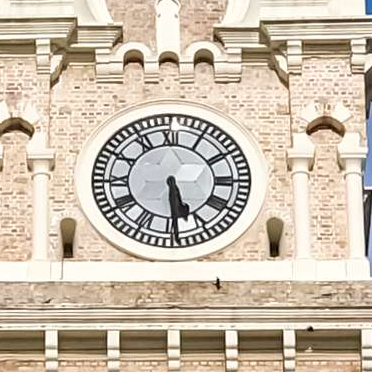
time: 5:29
